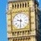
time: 9:31
